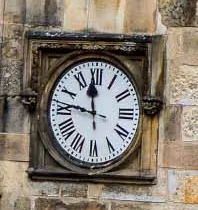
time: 11:46
